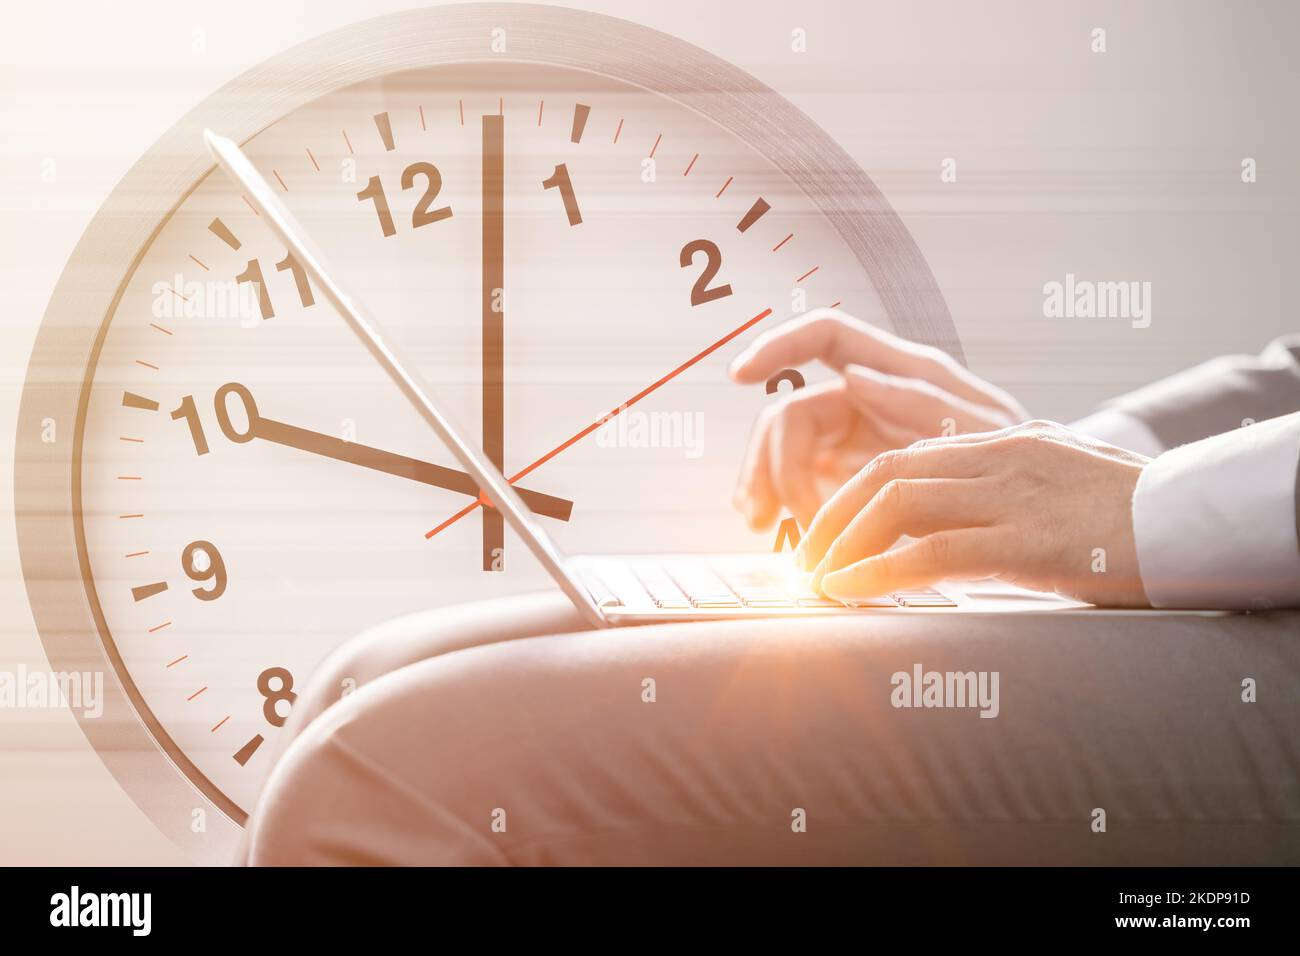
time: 10:02
